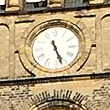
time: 11:26
